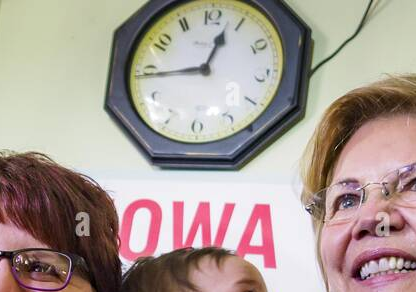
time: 12:44
